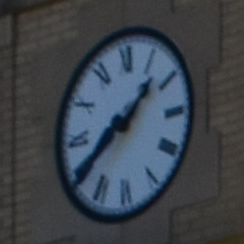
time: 1:39
